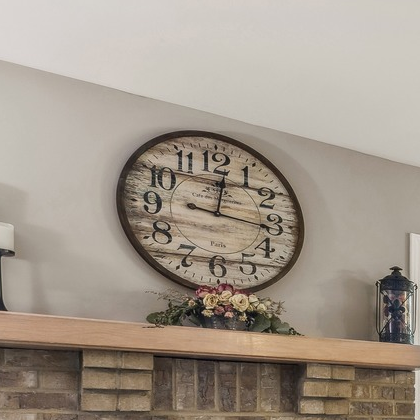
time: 12:16
